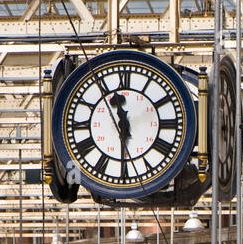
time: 11:29
